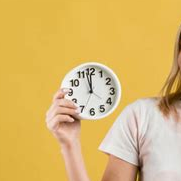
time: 11:57
